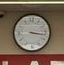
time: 3:16
